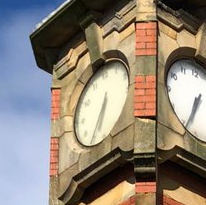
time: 6:34
